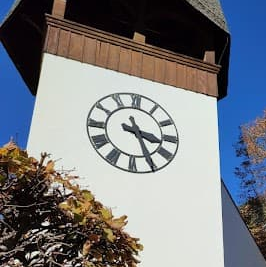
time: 3:25
